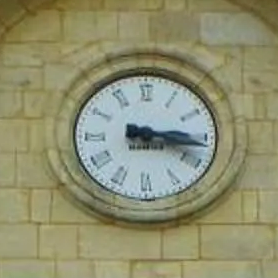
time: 3:16
